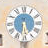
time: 5:30
